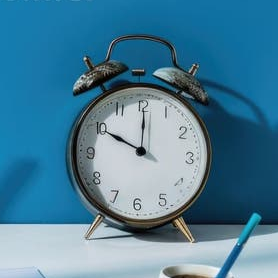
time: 10:00
